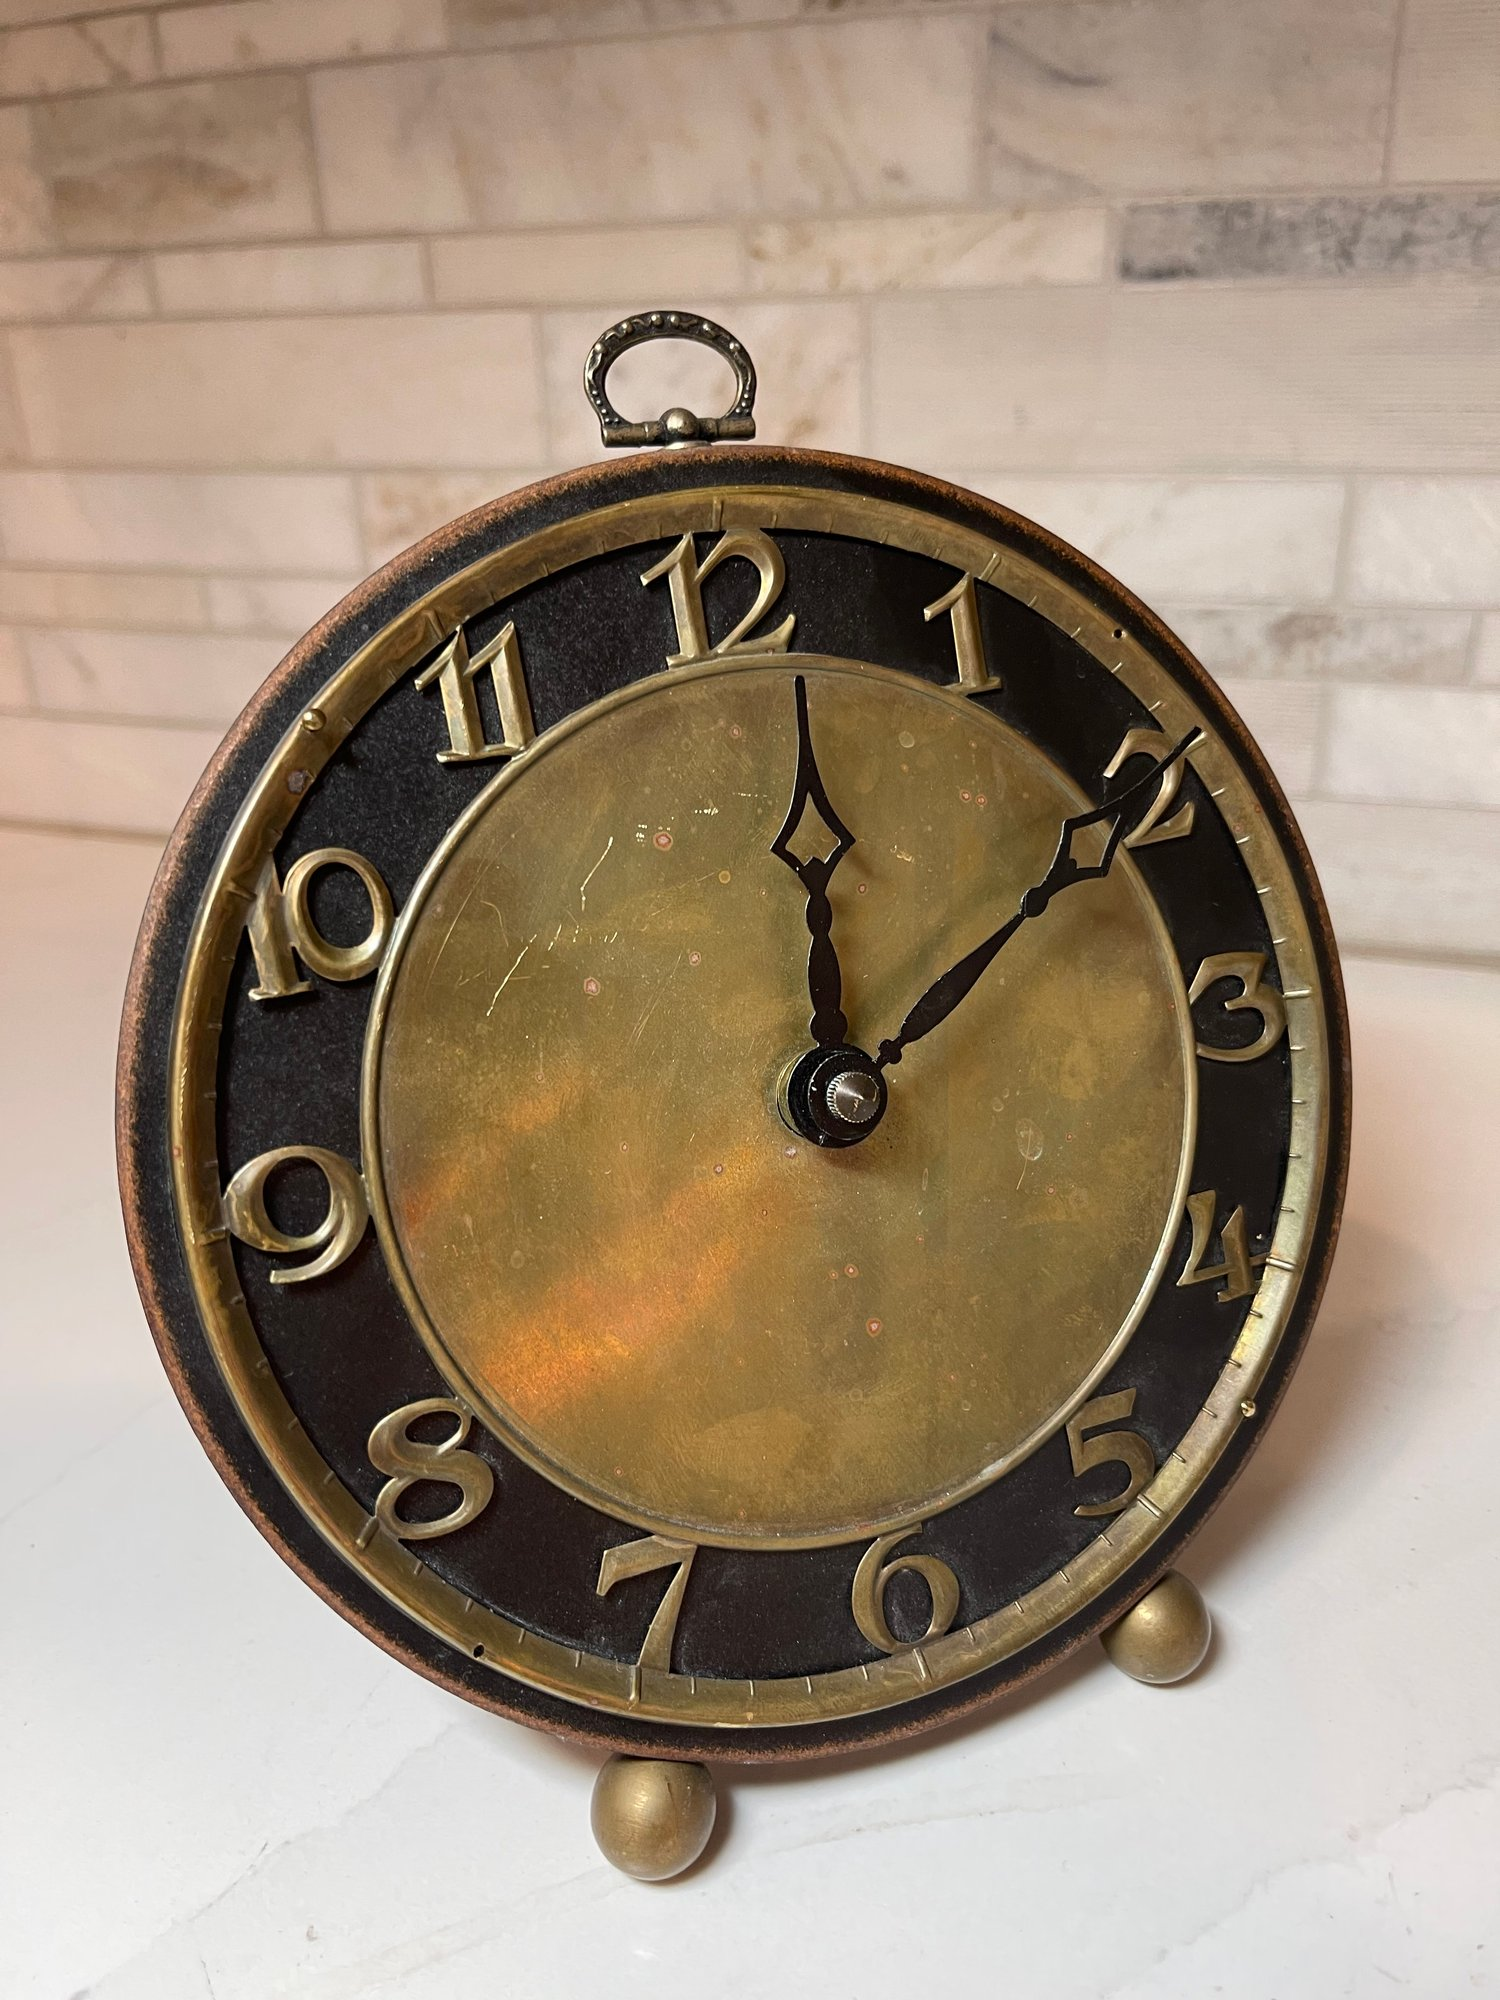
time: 12:10
